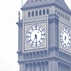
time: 5:35
